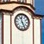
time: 11:25
